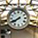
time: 7:40
